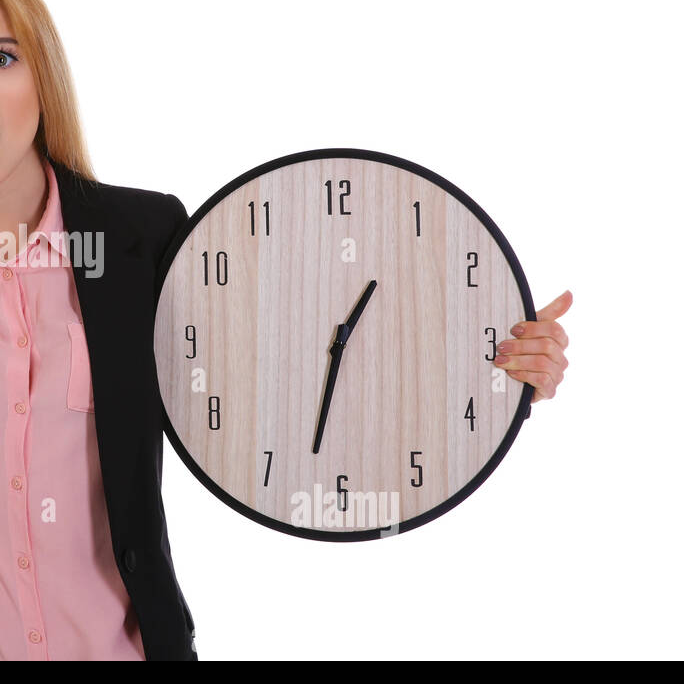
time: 1:32
